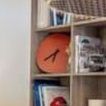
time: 6:40
